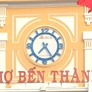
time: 7:24
